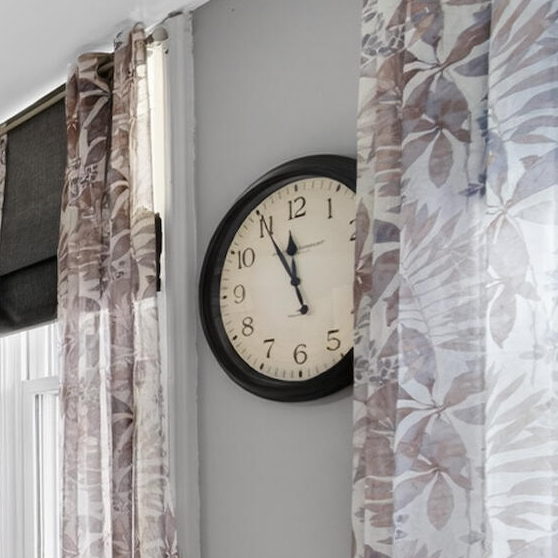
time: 11:55
